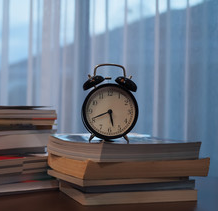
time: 5:41
